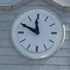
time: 11:49
